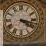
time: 4:17
